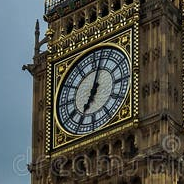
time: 7:03
